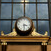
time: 3:29
